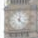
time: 12:22
